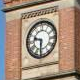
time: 9:31
